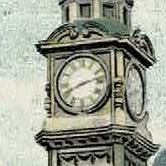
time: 8:12
